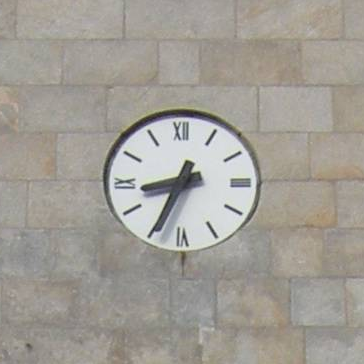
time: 8:34
